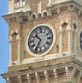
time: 10:34
